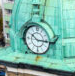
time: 10:15
